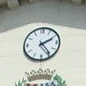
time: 2:24
